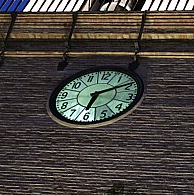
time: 6:10
